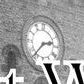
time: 2:37
